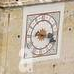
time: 9:17
